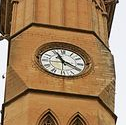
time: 11:19
